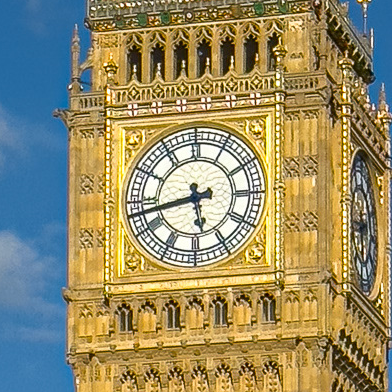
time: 5:42
